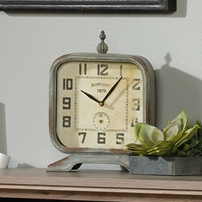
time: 10:06
